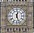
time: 12:26
